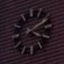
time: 4:09
